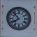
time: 7:52
